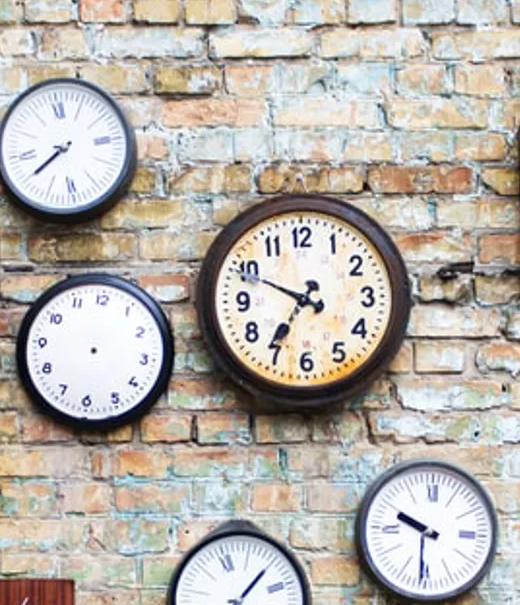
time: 6:49
